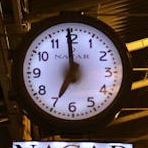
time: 6:59
